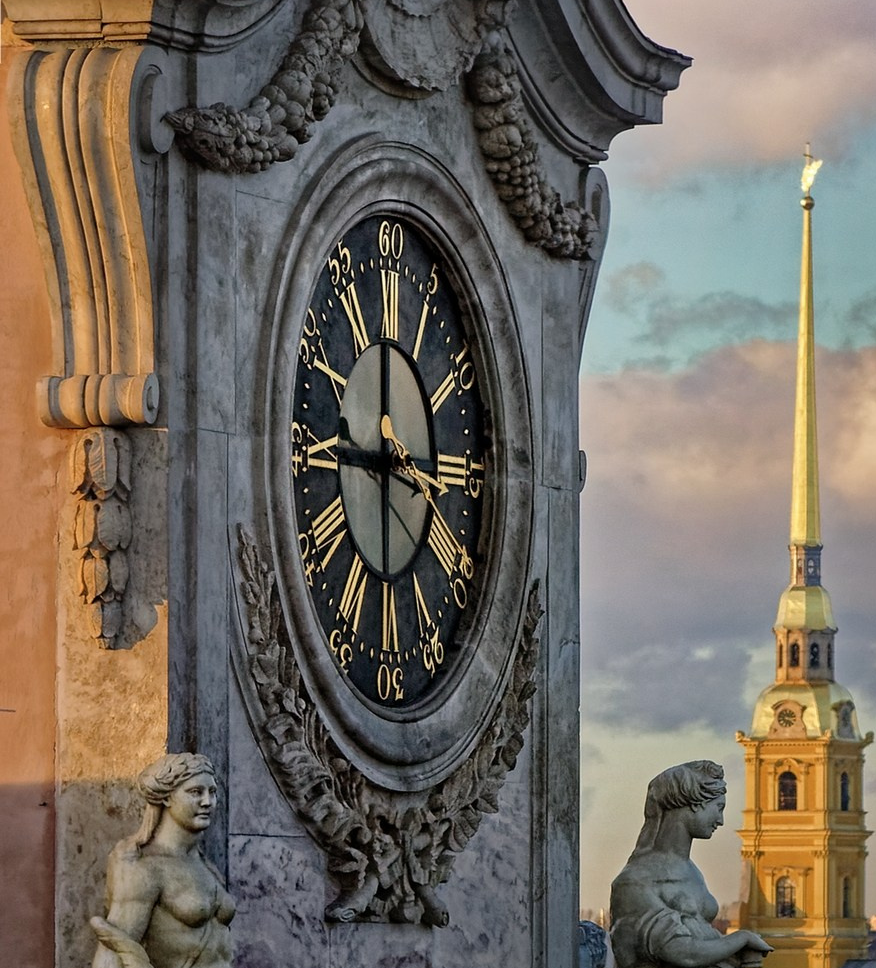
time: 11:45
